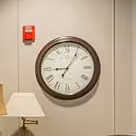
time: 9:05
